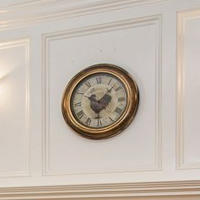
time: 10:07
